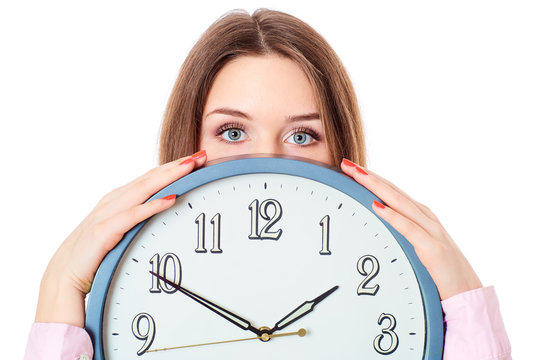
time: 1:49
